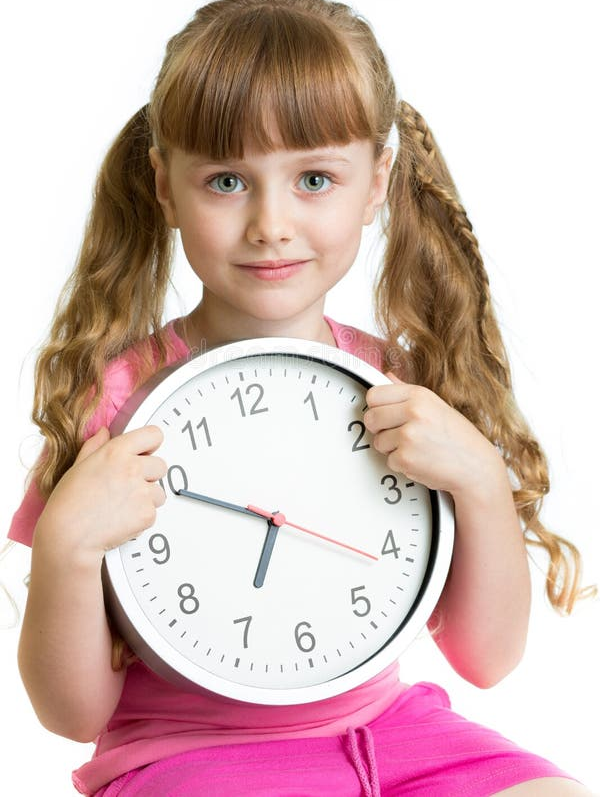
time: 6:49
